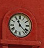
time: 11:22
